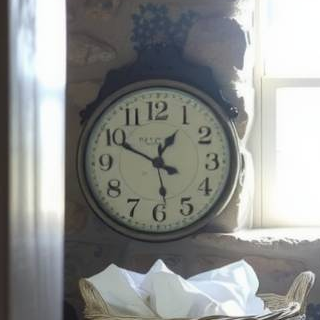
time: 12:49
